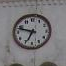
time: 6:47
